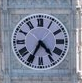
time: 4:35
